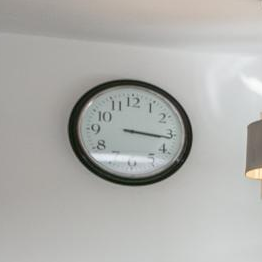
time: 3:16
